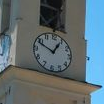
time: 12:48
